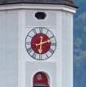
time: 6:11
